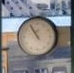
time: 10:54
